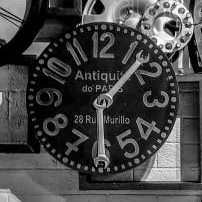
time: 1:29
